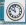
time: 9:57
